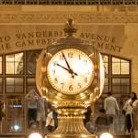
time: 9:56
